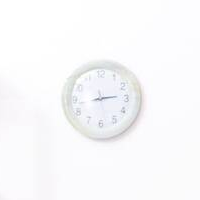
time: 2:42
